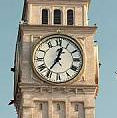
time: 12:36
